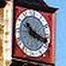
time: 10:17
